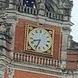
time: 8:33
